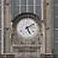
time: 5:09
